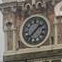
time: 1:37
